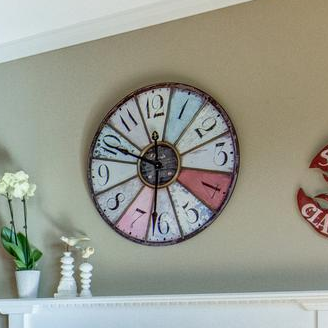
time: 9:32
